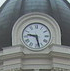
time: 9:27
